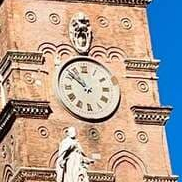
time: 10:51
